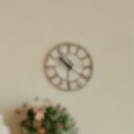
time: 10:31
